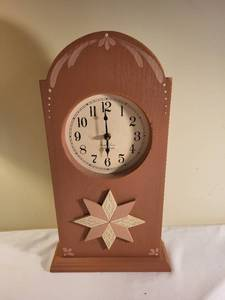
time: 5:59
